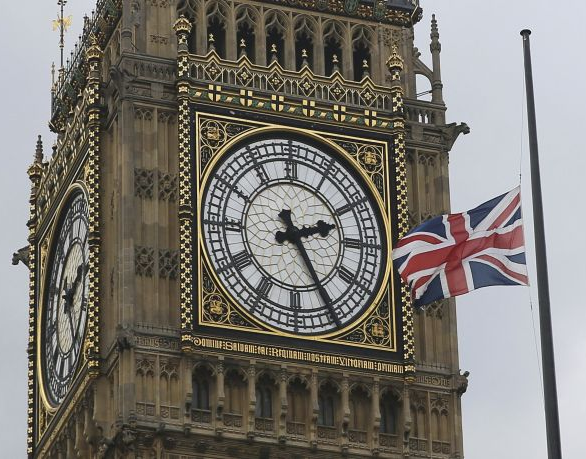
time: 2:25
